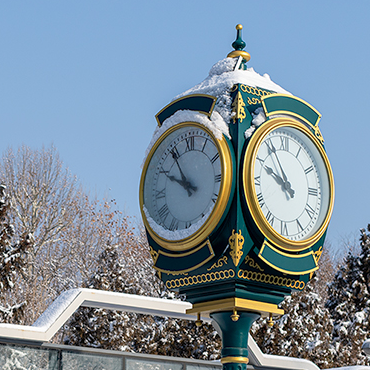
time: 9:54
